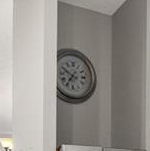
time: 6:49
